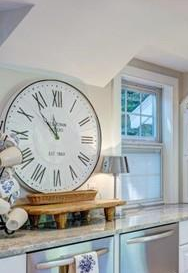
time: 11:52
